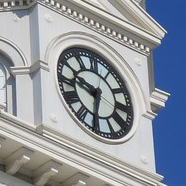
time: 9:31
